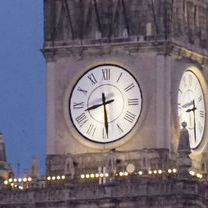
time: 8:29
